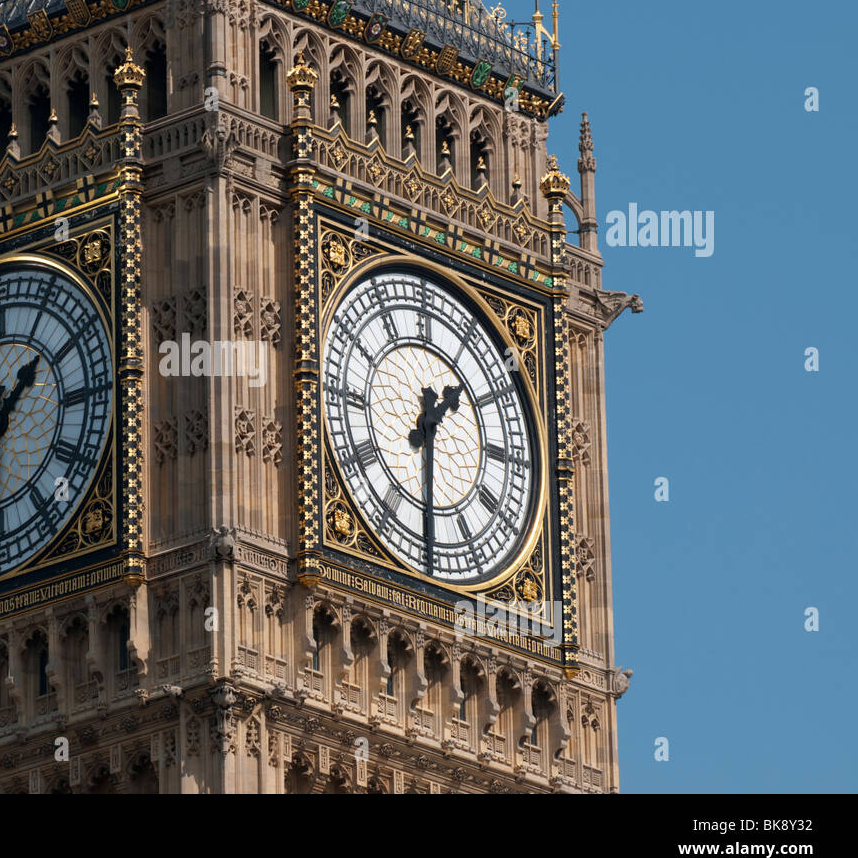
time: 1:30
